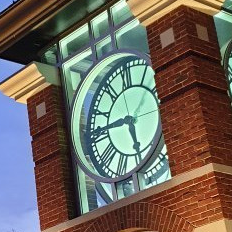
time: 5:45
